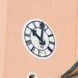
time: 10:01
